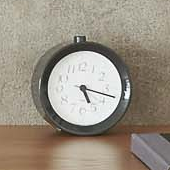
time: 5:17
